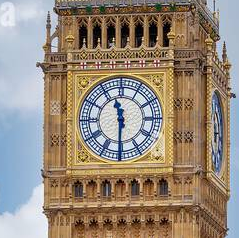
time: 11:30
